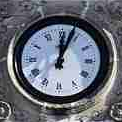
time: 12:03
